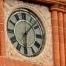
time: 6:07
